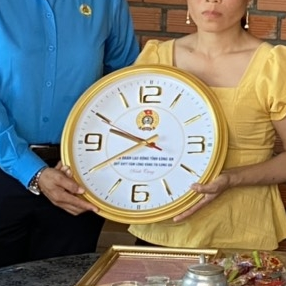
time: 9:40
